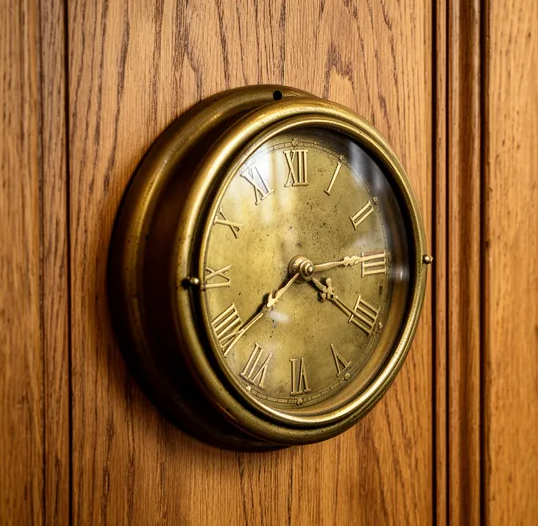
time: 3:39
